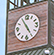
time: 4:55
